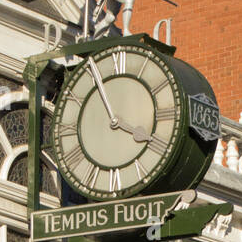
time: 3:55
